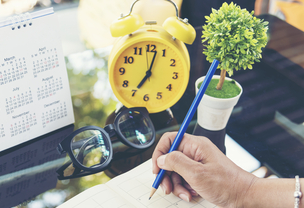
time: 7:02
